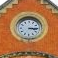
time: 3:14
